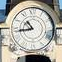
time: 10:43
